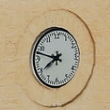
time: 7:47
